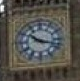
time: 10:17
